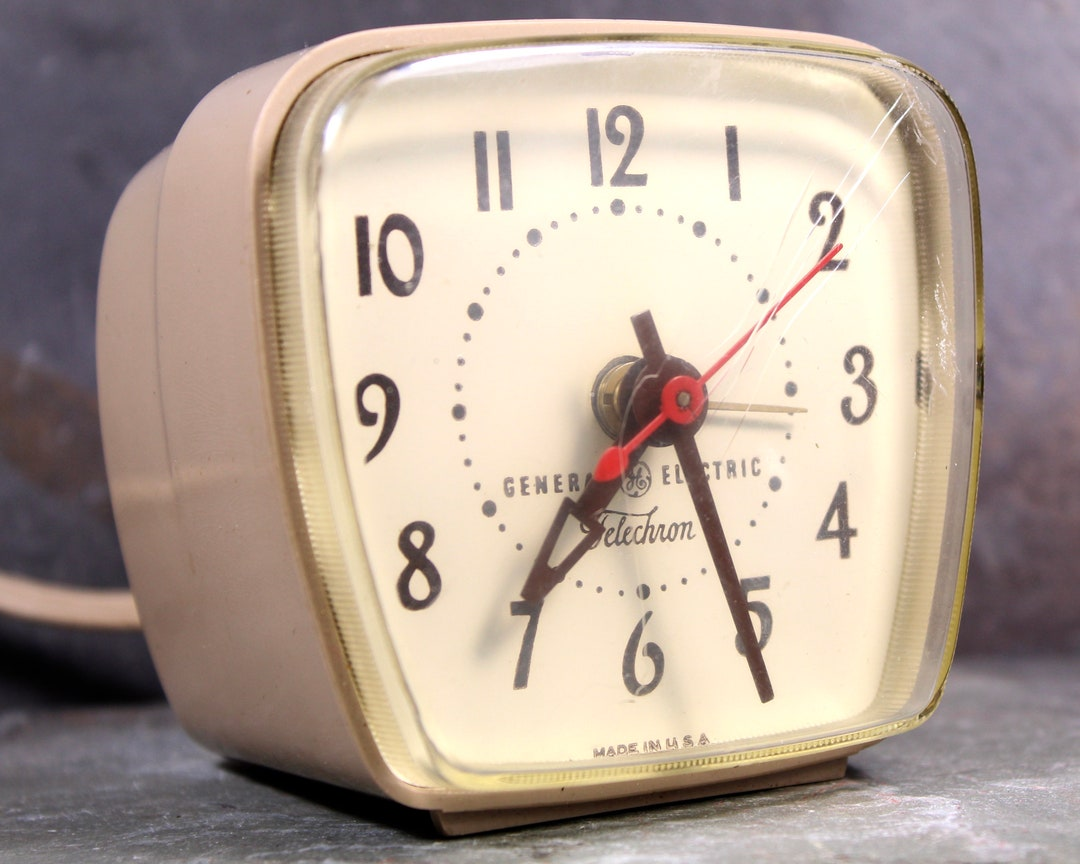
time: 7:25
